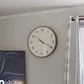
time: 10:19
